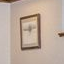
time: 9:12
